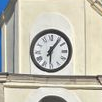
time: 6:06
